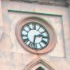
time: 2:32
